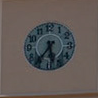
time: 5:36
